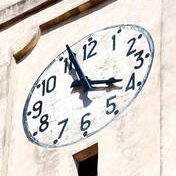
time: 3:56
